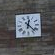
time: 12:22
